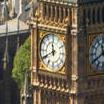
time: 11:40
